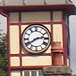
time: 2:39
